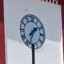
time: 1:33
